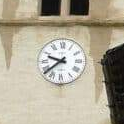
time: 9:38
